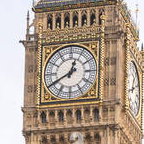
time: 12:40
